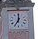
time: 7:00
